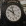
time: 9:57
